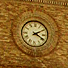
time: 4:10
